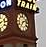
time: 7:11
